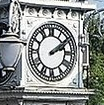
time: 2:09
